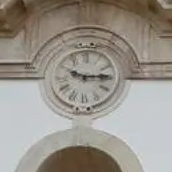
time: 9:14
